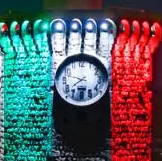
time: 7:47
